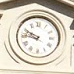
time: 9:45
